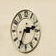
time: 2:34
